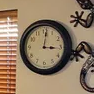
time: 3:01
